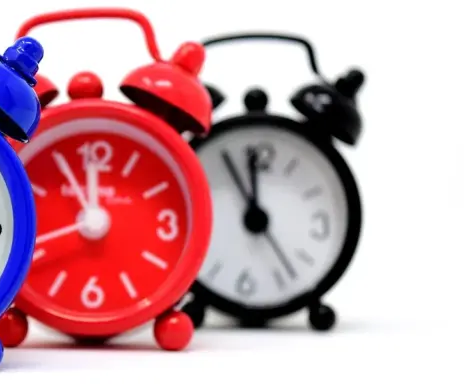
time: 11:55
